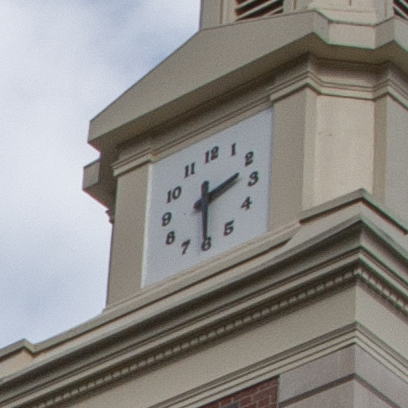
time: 2:29
